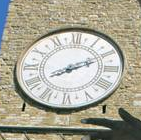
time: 8:11
